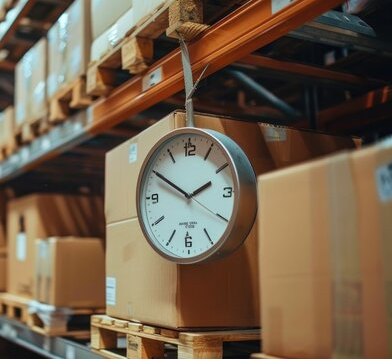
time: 1:50
